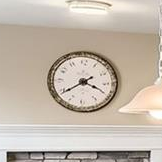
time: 3:39
